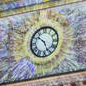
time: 10:26
